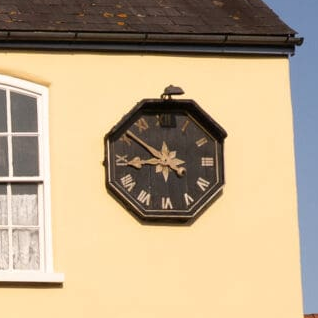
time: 8:51
